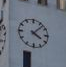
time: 4:07
